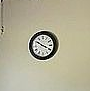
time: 3:50
